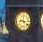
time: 9:22
